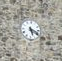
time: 5:18
